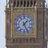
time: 1:25
